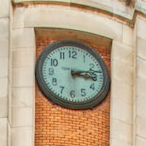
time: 3:12
